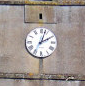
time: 2:03
